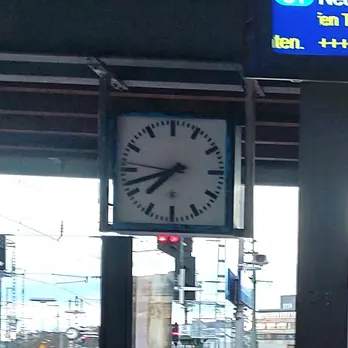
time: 7:42
